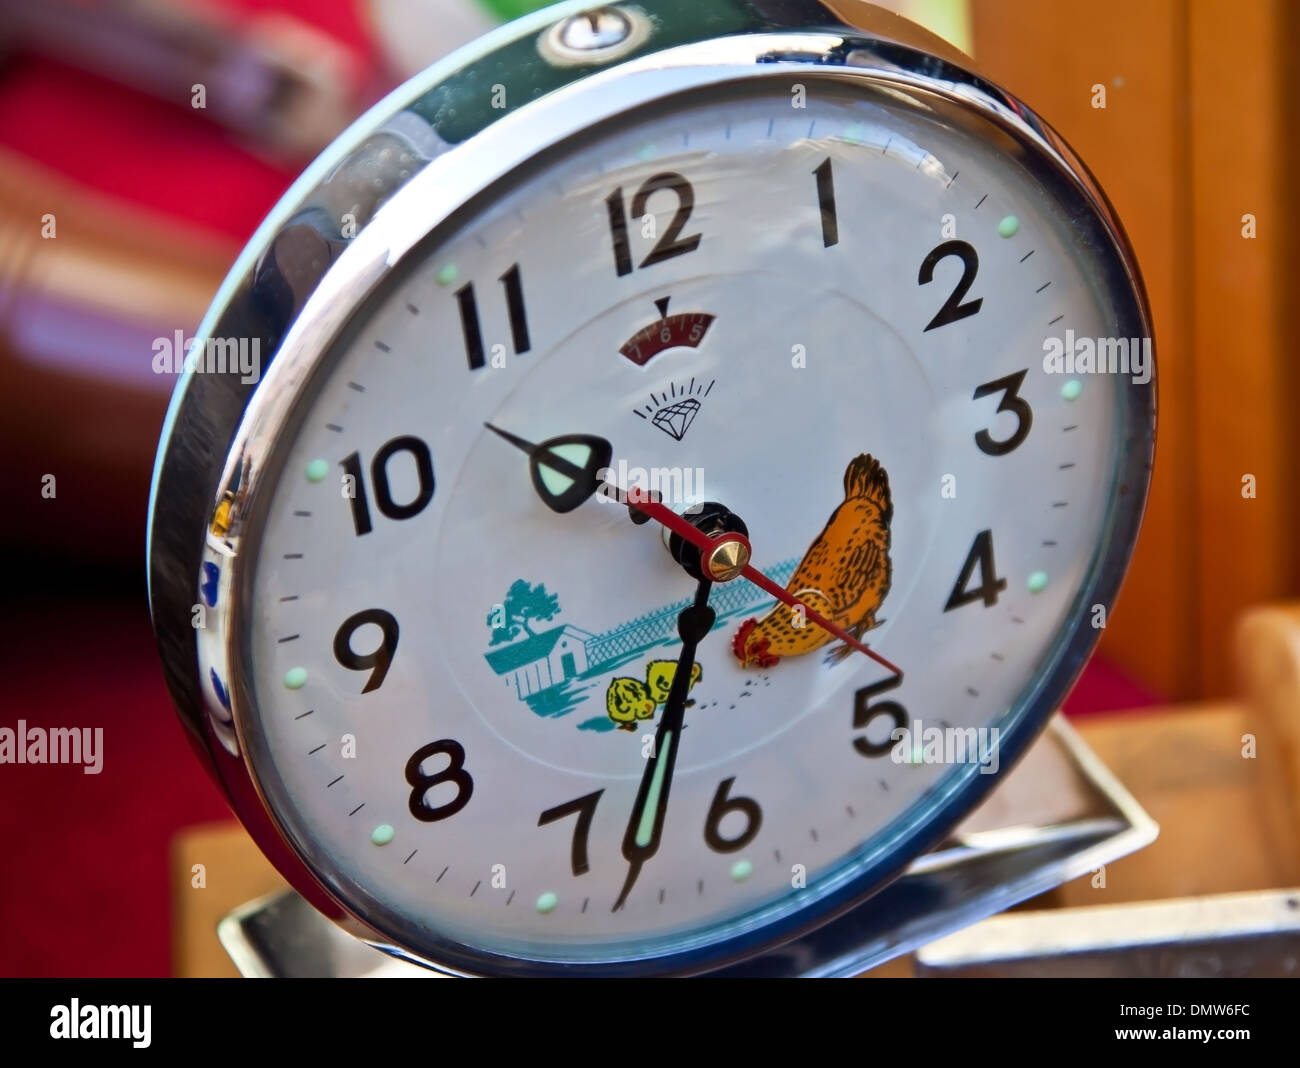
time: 10:32
